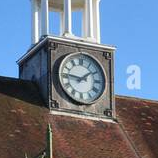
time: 1:46
